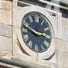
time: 2:48
